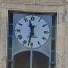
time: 11:32
